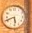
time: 5:41
